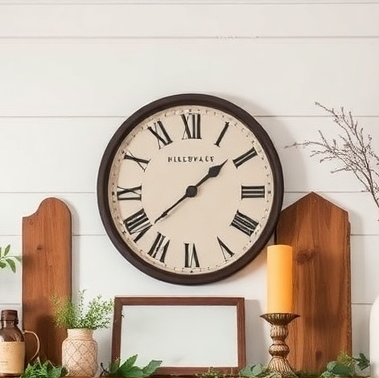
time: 1:38
